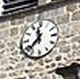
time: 11:37
